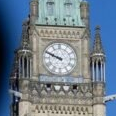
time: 9:48
